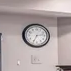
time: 2:34
